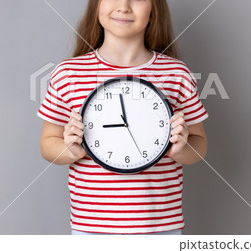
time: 8:58
